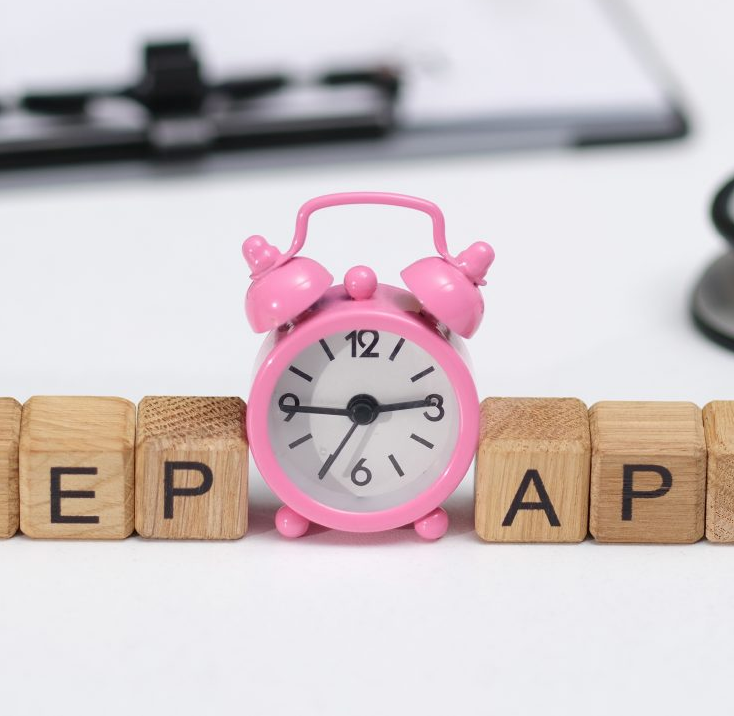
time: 2:44
